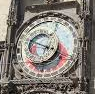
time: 3:48
